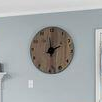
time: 1:59
